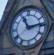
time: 11:13
